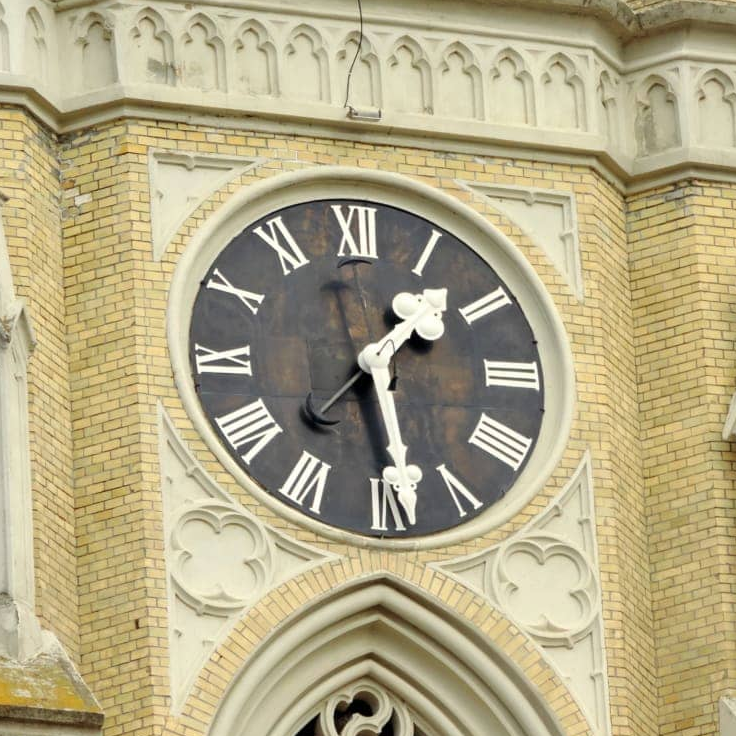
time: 1:28
